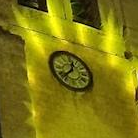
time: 12:37
